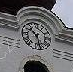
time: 10:28
